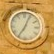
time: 7:04
